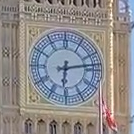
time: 6:13
